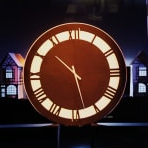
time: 10:27
